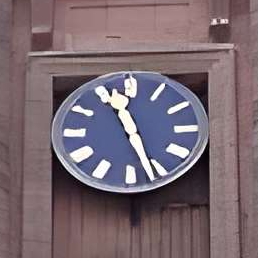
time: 11:26
